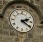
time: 2:21
